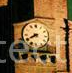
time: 7:40
